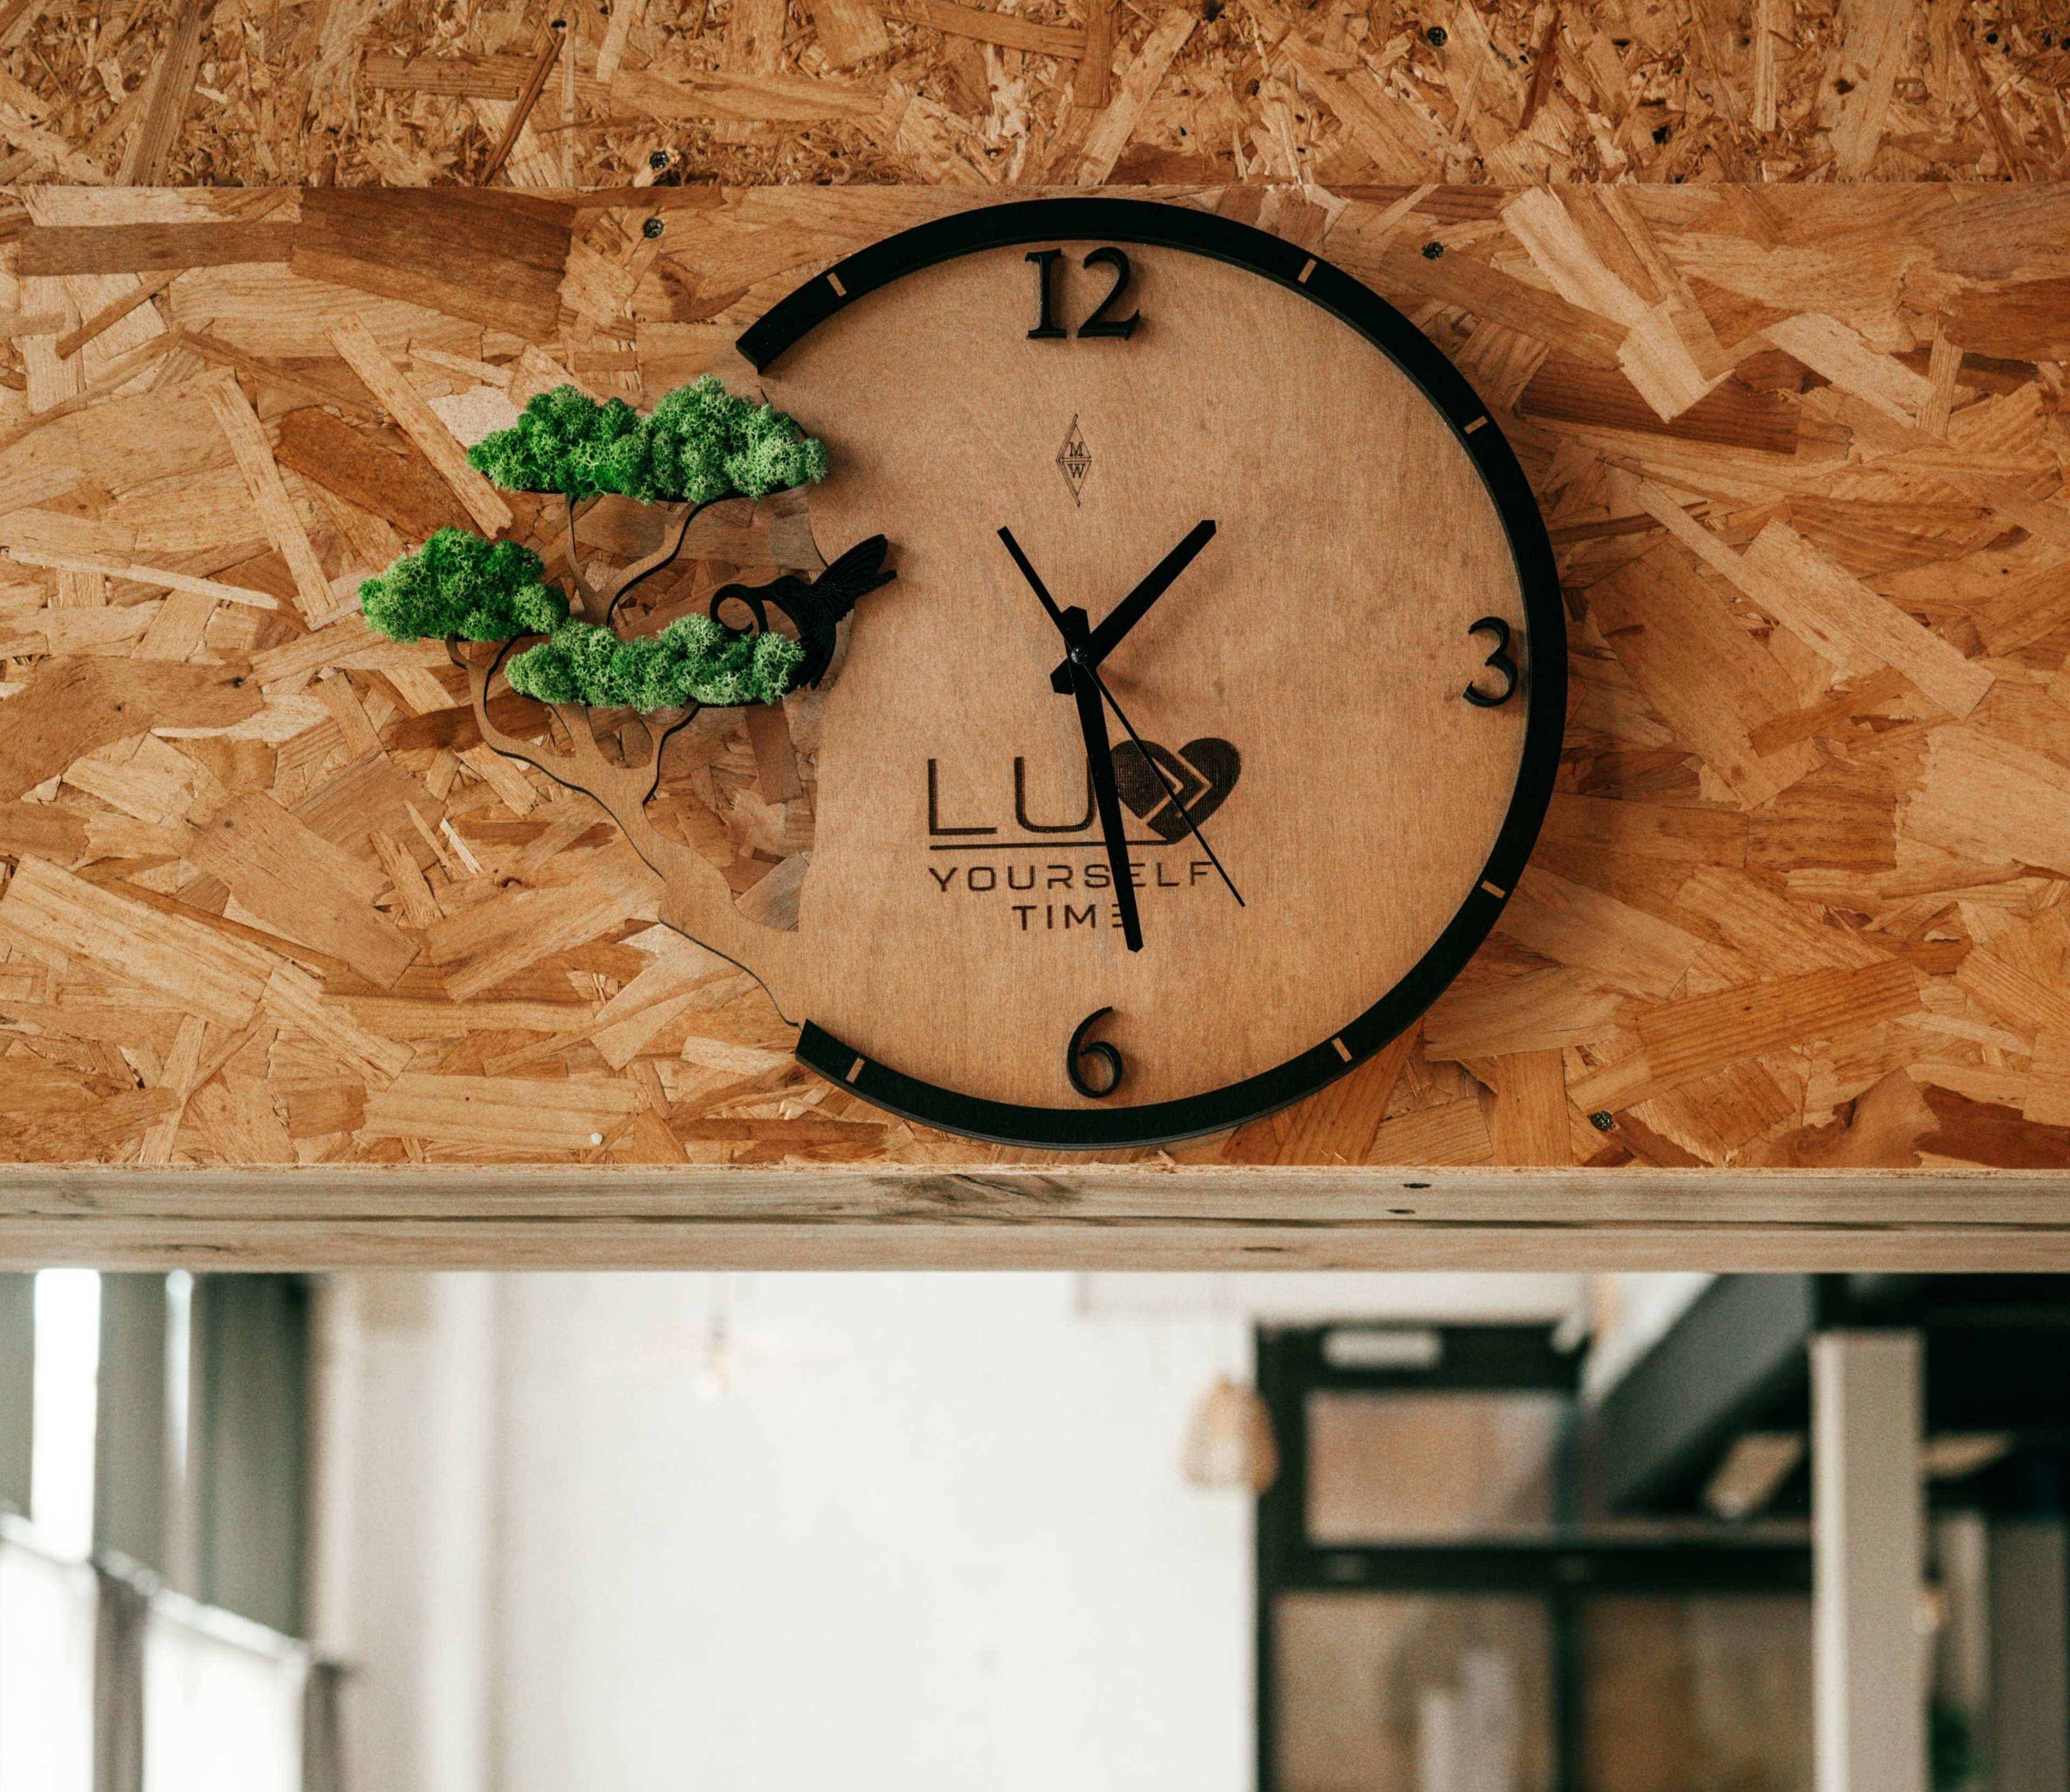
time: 1:28
